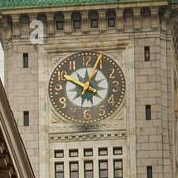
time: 12:49
